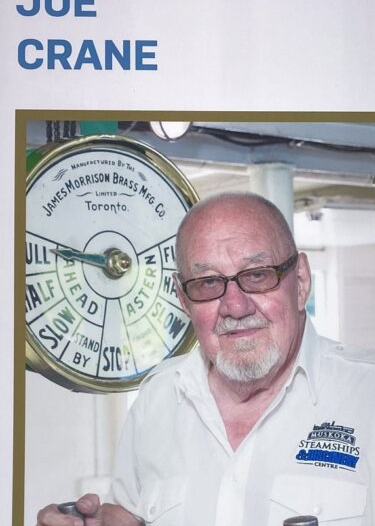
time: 9:12
